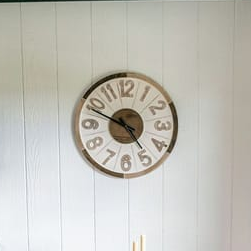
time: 4:48
